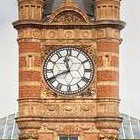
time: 11:41
